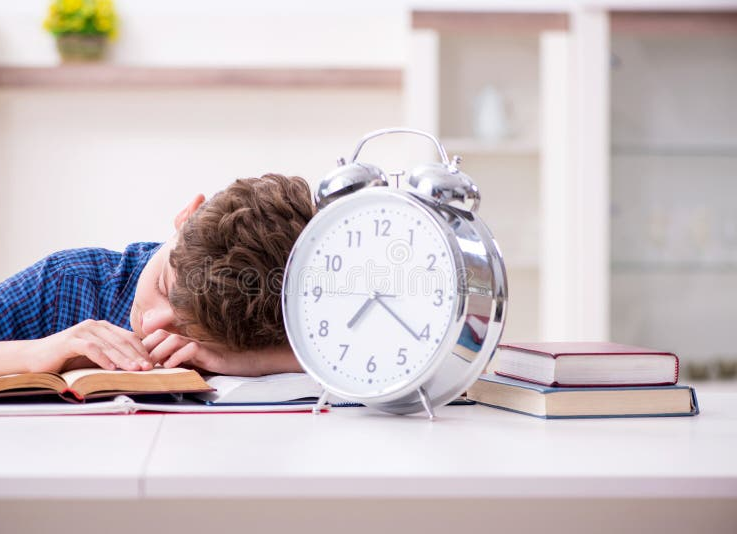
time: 7:21
